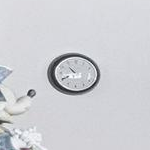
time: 10:40
